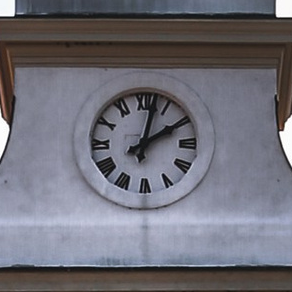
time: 2:02
